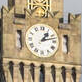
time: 1:12
